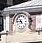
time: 10:45
